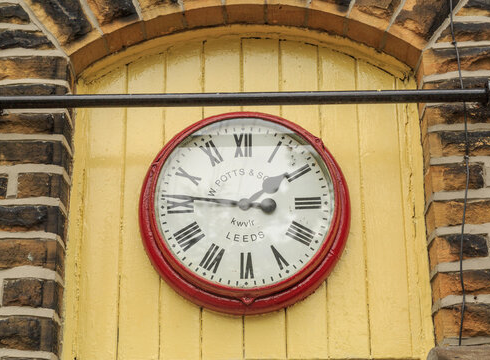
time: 1:46
